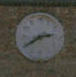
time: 2:40
